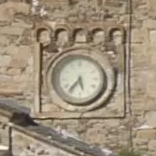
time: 5:36
